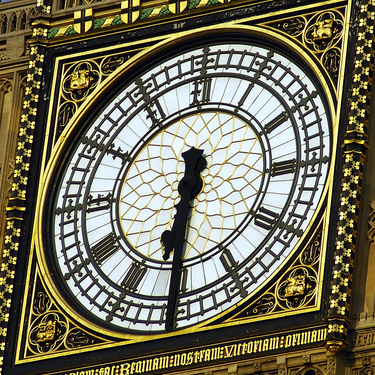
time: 6:30
